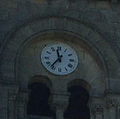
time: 11:36
